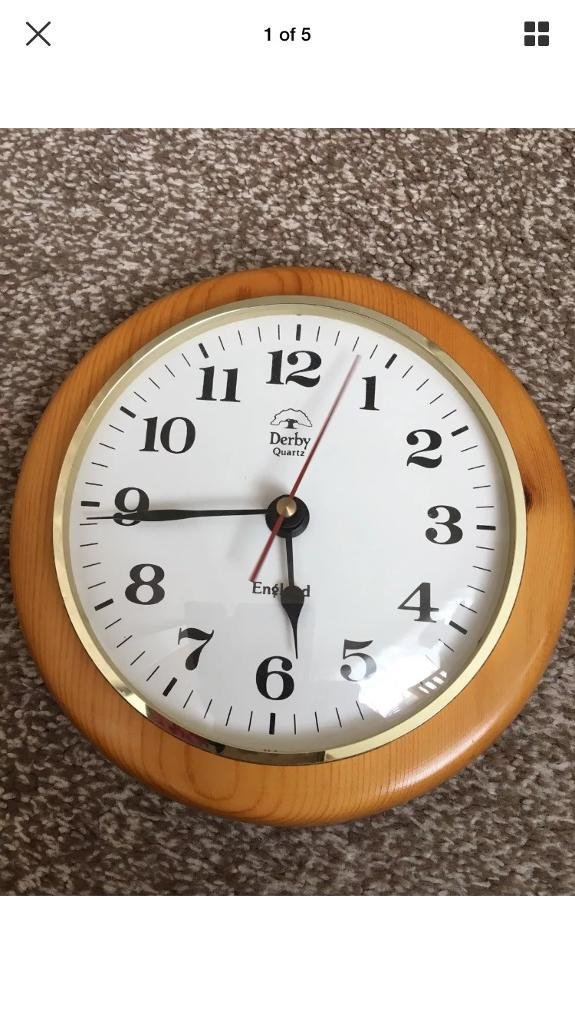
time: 5:44
